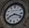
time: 8:18
